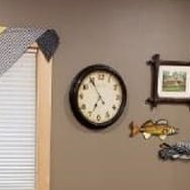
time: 6:54
